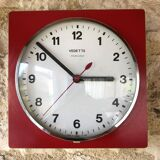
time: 2:51
